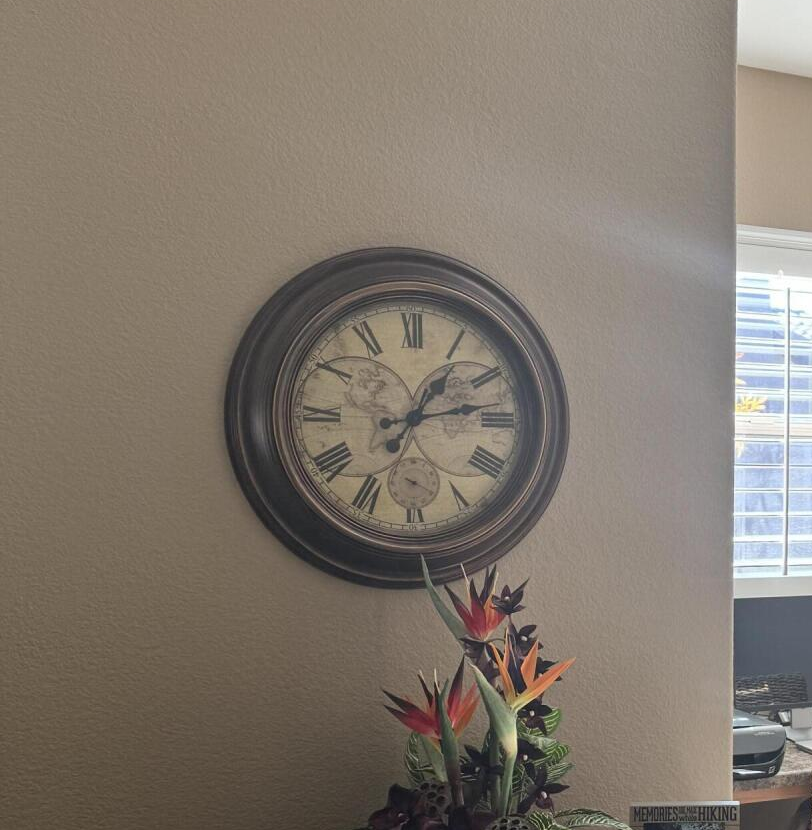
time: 1:12
